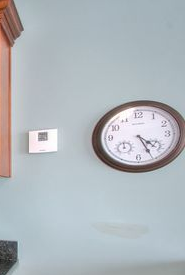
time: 4:25
